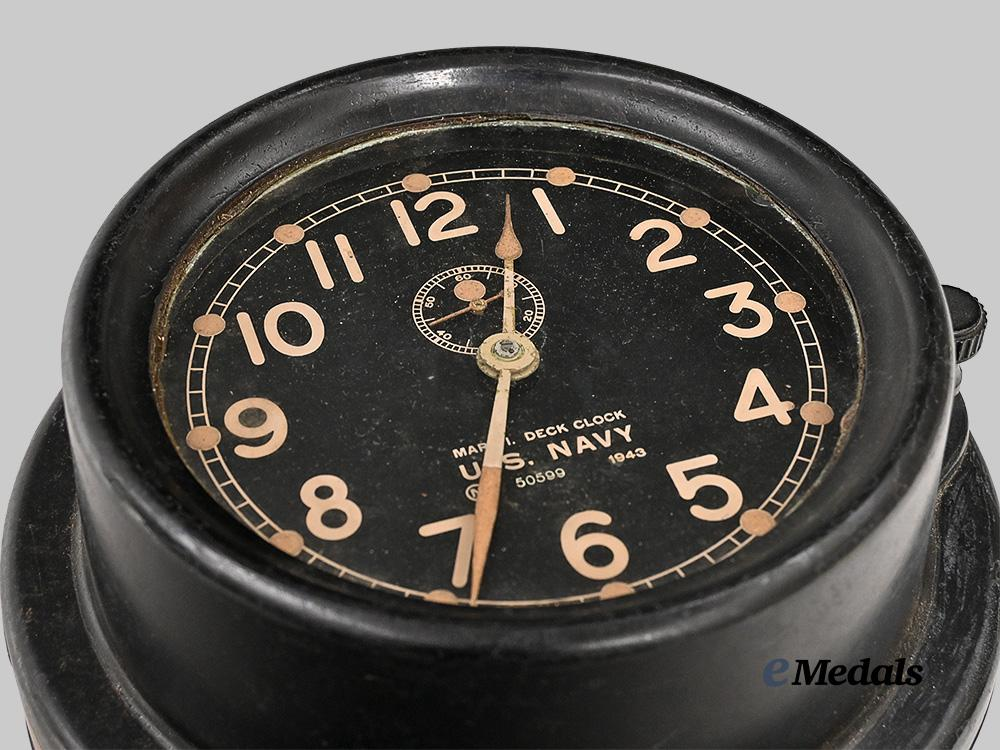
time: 12:33
